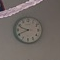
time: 9:41
